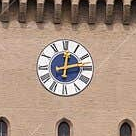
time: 12:13
